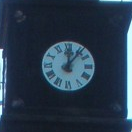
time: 12:06
